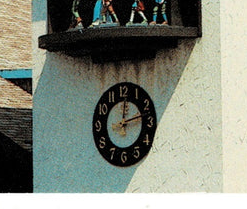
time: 12:12
